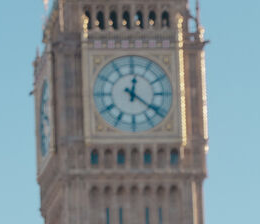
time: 12:21
